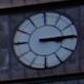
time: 3:14
